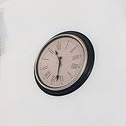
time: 11:32
